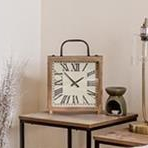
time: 1:52
